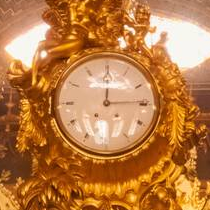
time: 12:14
